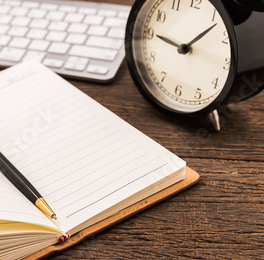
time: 9:07
